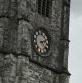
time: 2:23
